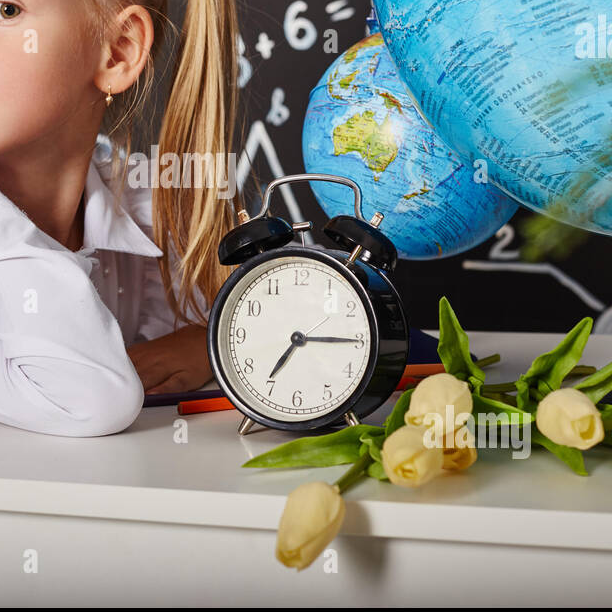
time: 7:15
